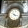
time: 4:18
